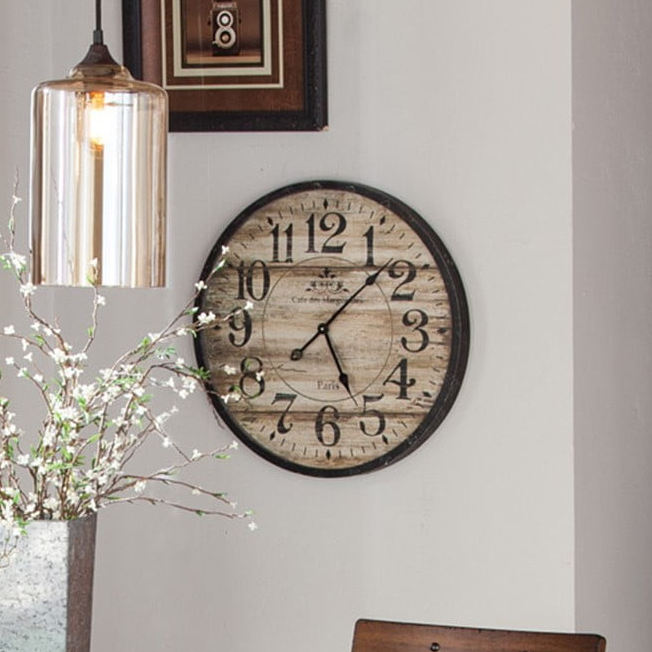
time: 5:07
